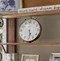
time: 5:29
